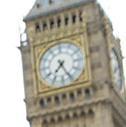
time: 7:25
